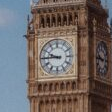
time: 9:45
